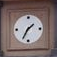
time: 1:33
